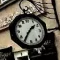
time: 1:35
